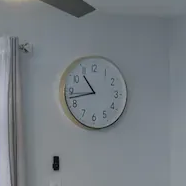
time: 10:42
